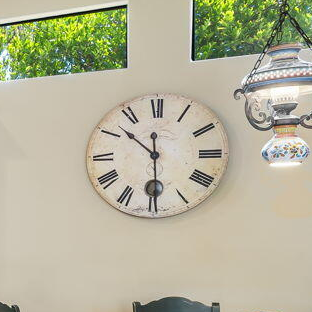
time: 10:29
